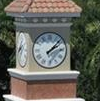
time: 2:07
